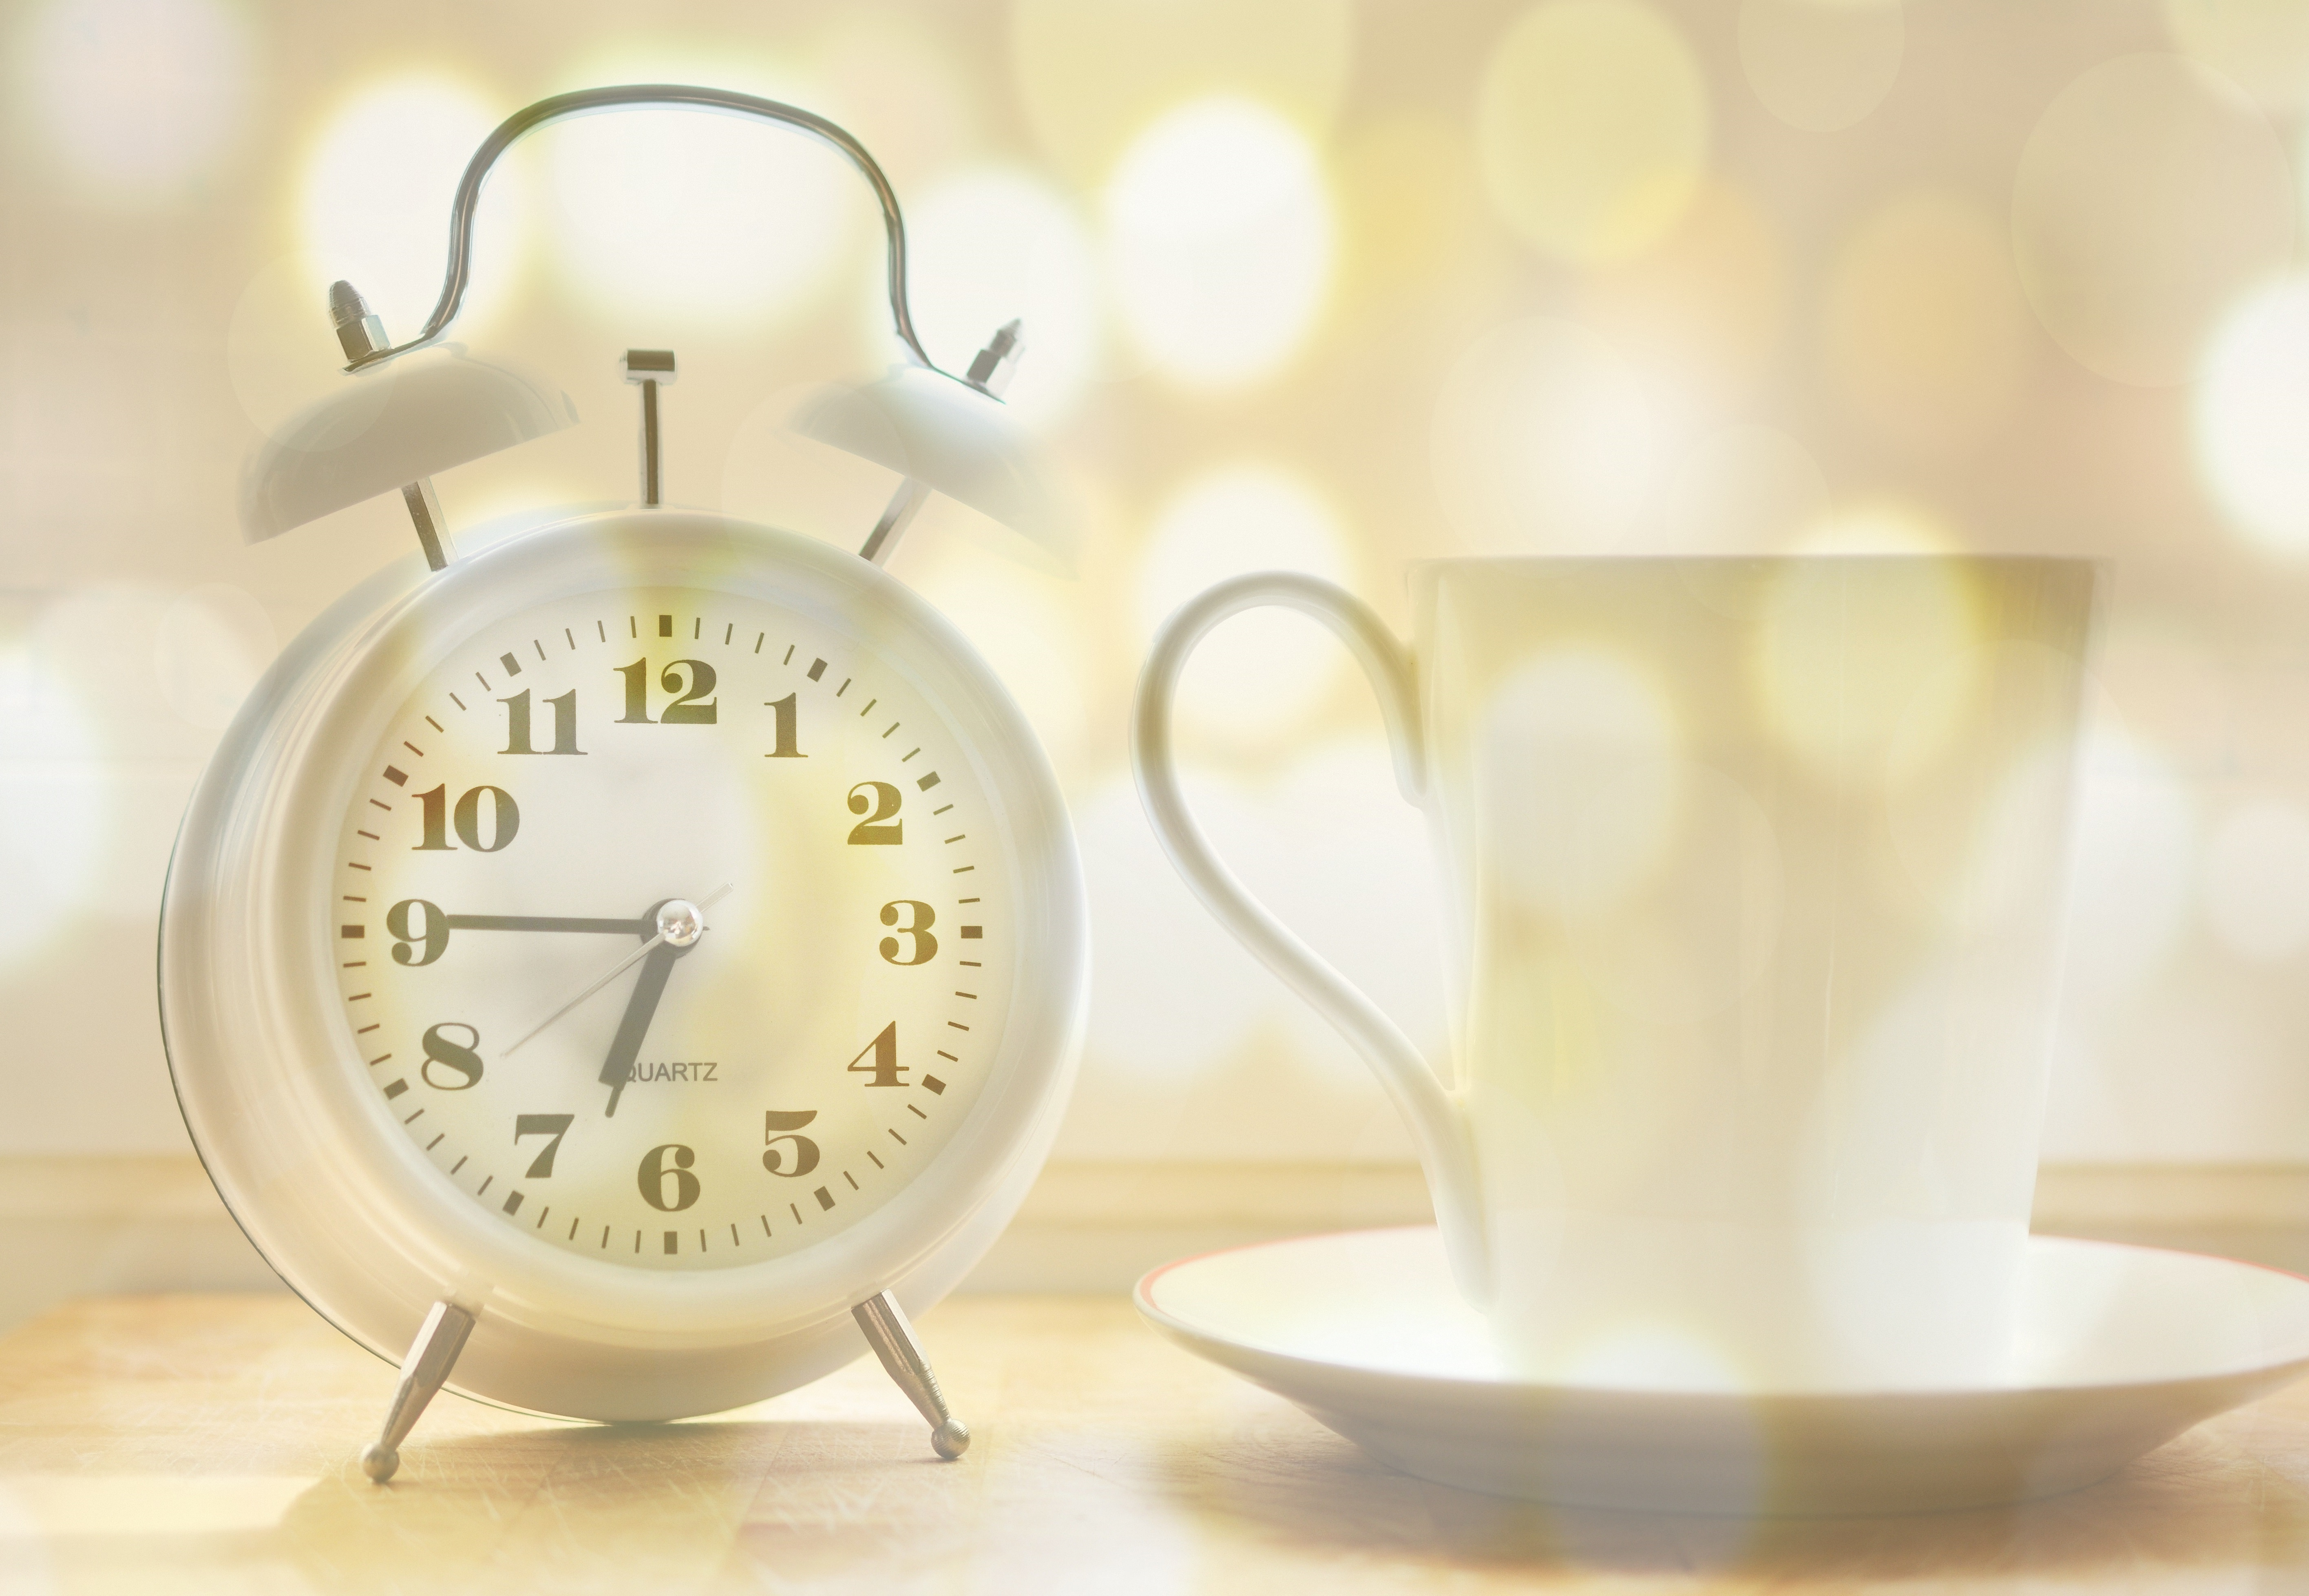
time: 6:45
